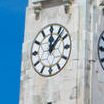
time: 12:07
